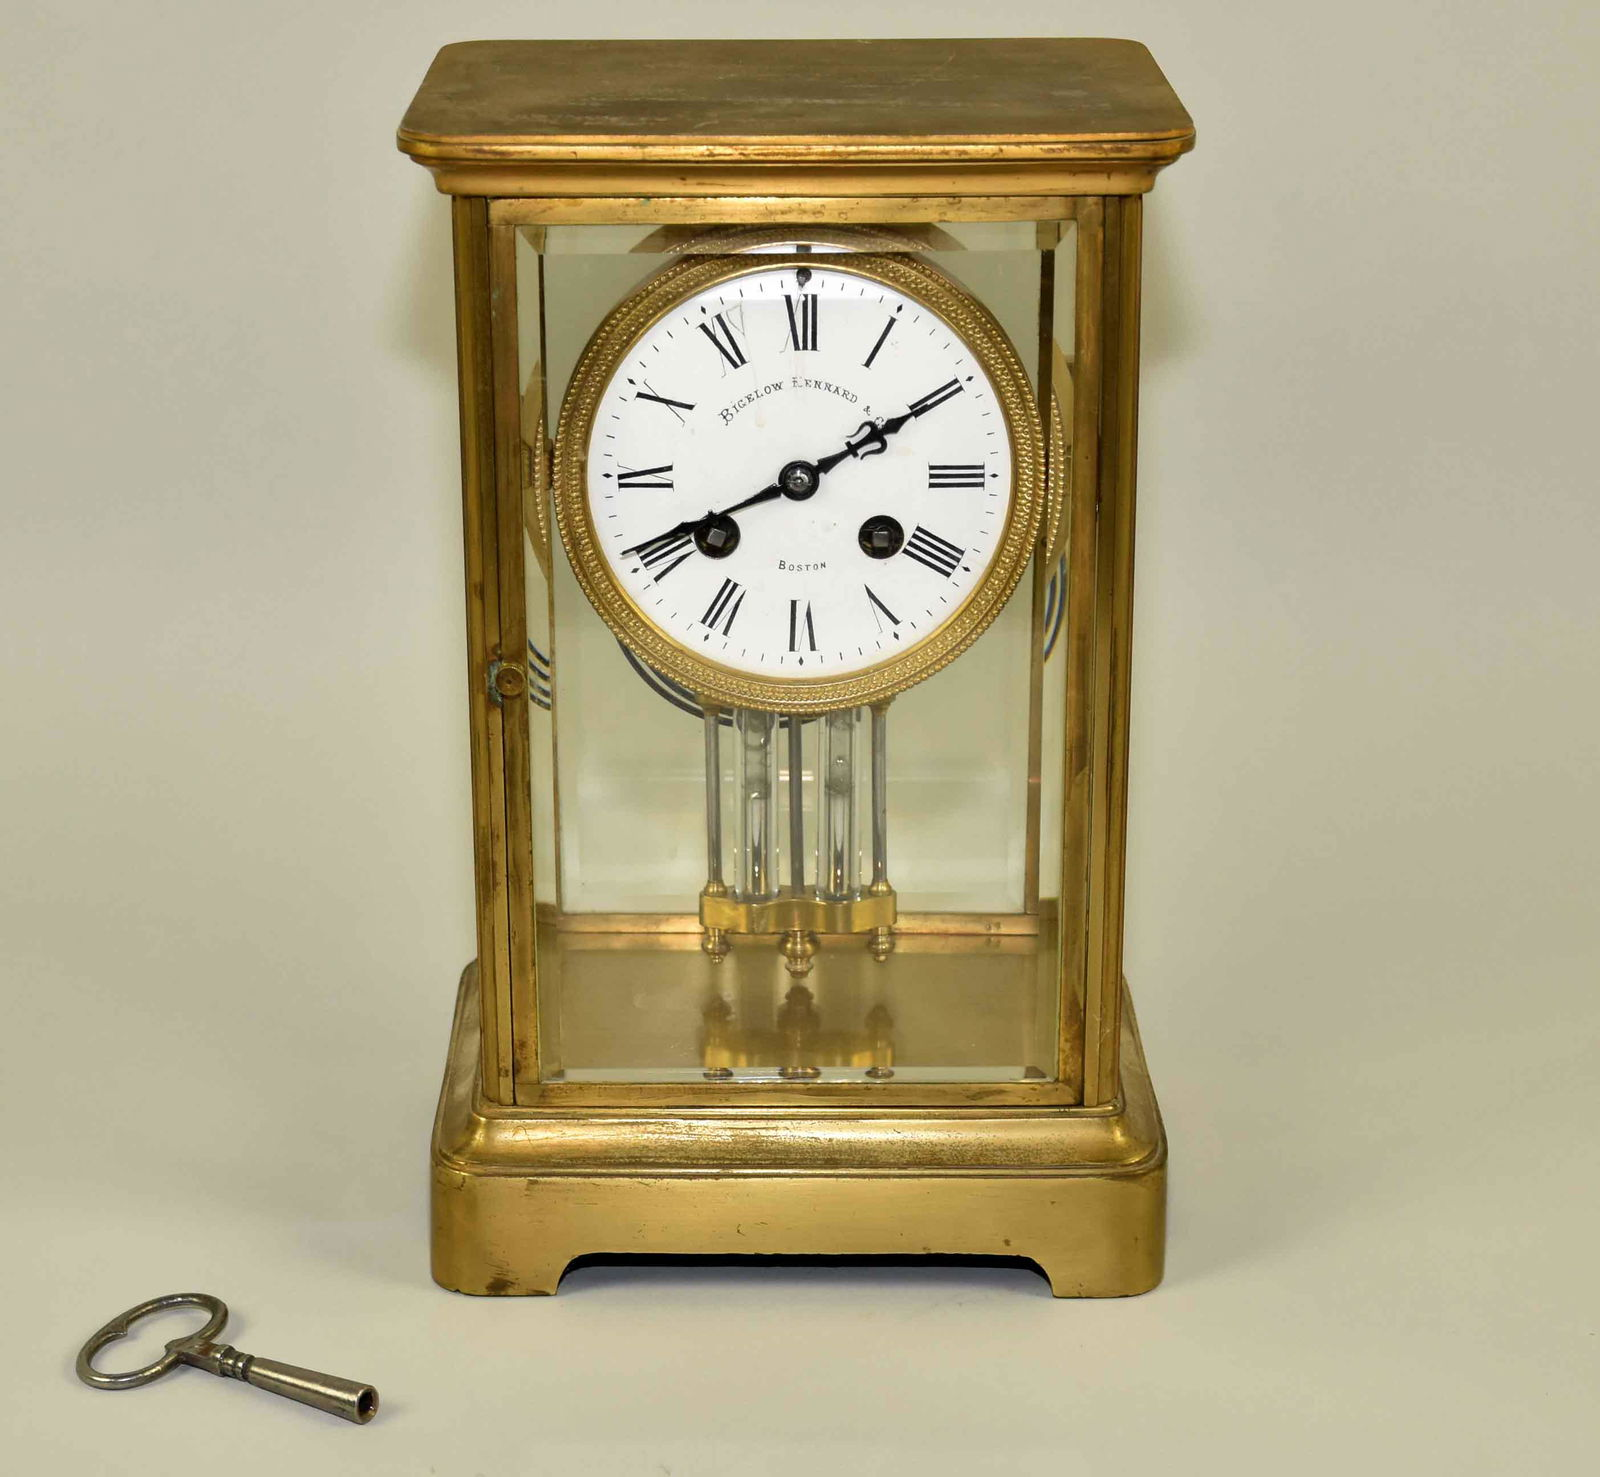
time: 8:09
